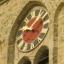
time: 9:07
